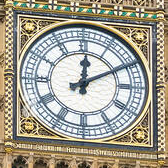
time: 12:10
